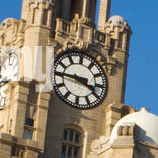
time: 3:45
